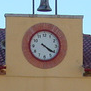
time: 4:20
